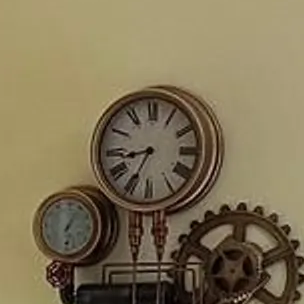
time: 8:34
